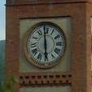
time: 5:59
